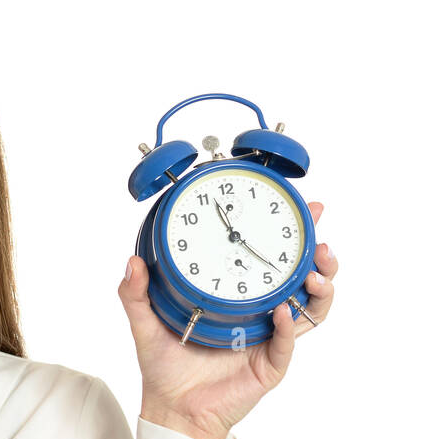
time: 11:22
